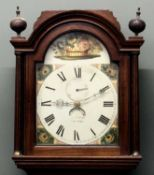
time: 9:10
